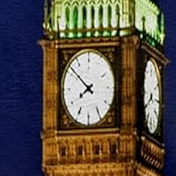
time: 7:51
